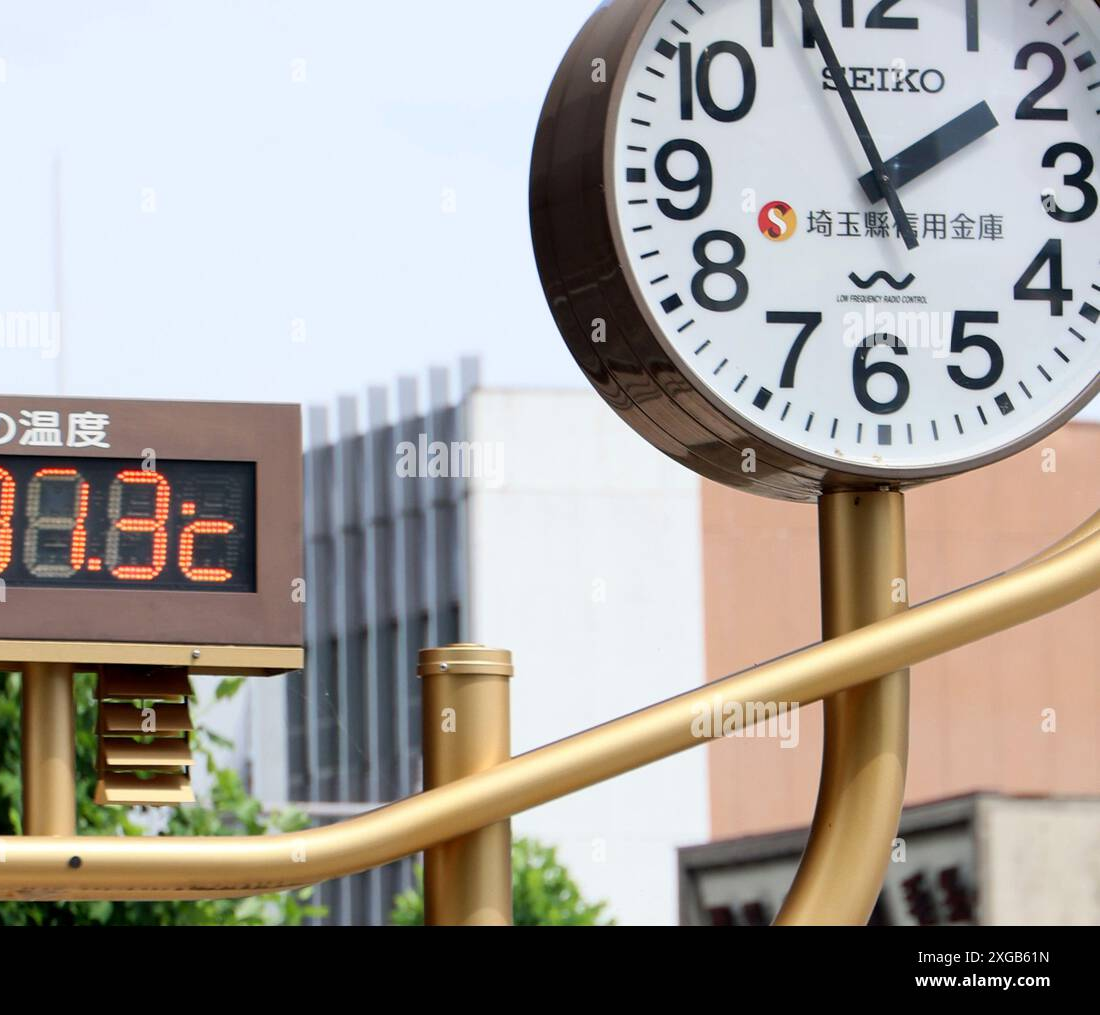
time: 1:56
